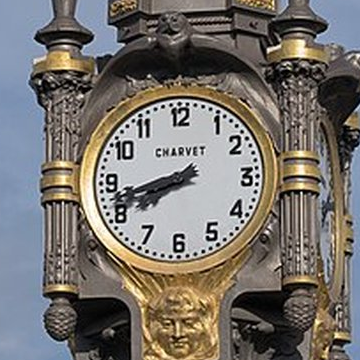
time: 7:42
